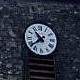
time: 10:38
